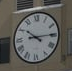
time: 10:14
